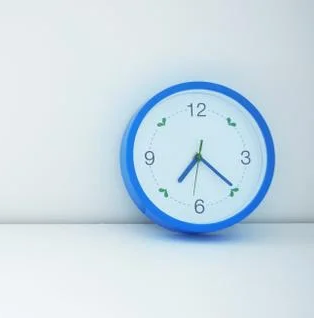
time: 7:20
